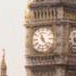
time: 11:23
